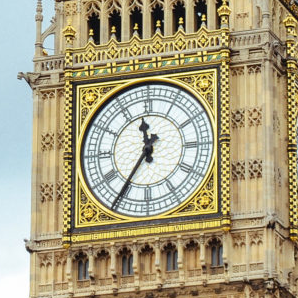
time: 11:35
